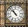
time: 10:52
